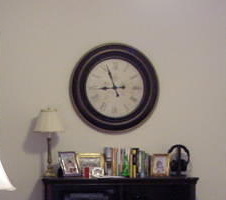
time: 8:56
